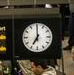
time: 7:00
